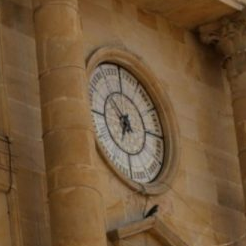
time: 6:52
